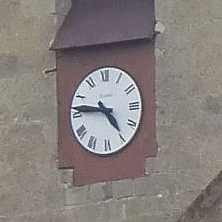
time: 4:46
